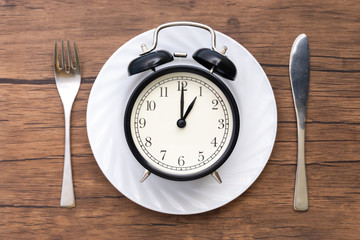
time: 1:00
